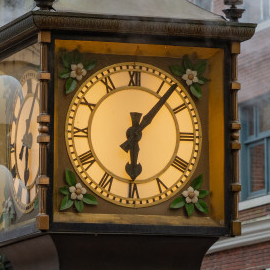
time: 6:06
